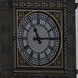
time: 11:14
